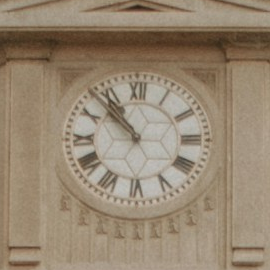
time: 10:52
